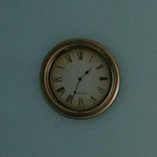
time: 1:34
